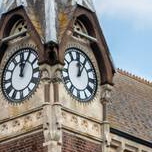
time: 12:05
